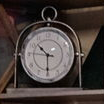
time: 10:30
